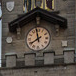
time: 7:58
